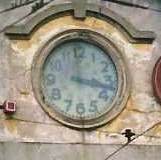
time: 3:17
